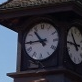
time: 10:44
